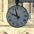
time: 9:57
